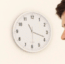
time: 11:18
